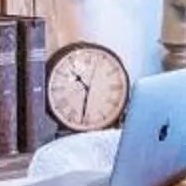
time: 10:31
